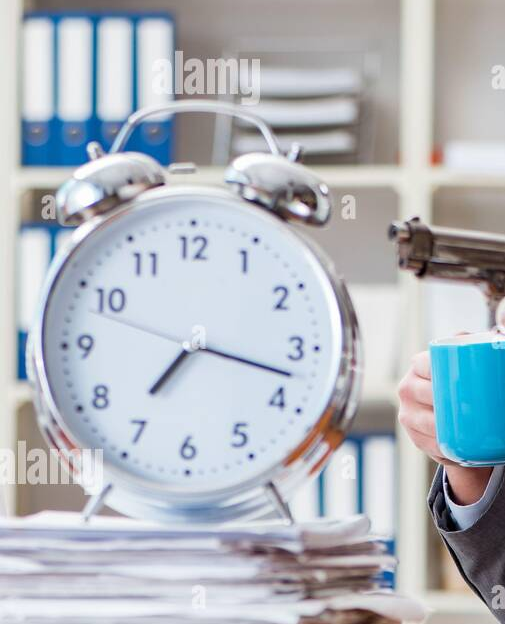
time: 7:17
